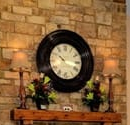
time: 10:17
